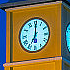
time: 7:00
